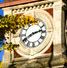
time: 2:40
